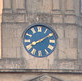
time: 8:09
